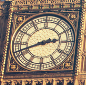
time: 2:42
